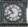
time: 10:40
